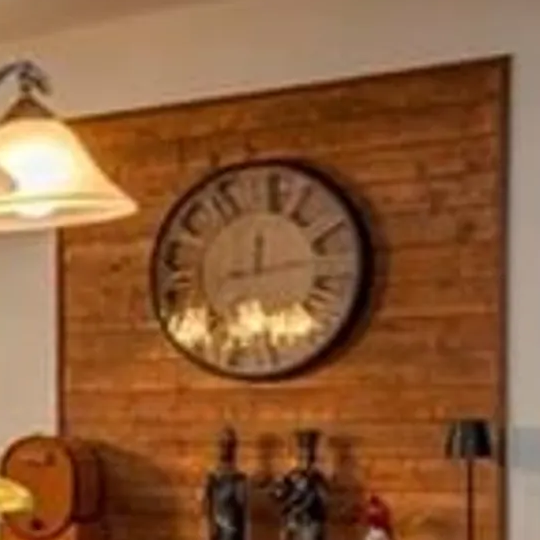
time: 12:13
